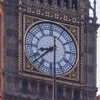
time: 8:38
